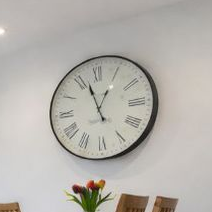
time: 12:57
